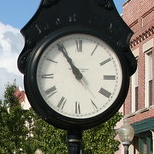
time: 10:54
